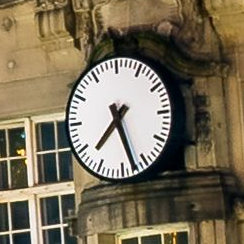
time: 7:27
